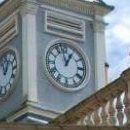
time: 12:57
